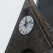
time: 12:12
